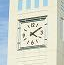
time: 4:09
